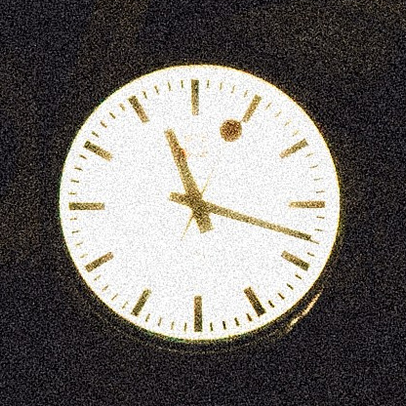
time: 11:17
